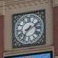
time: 7:11
